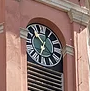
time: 12:52
